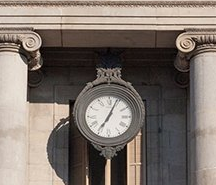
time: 7:04
